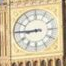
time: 8:45
